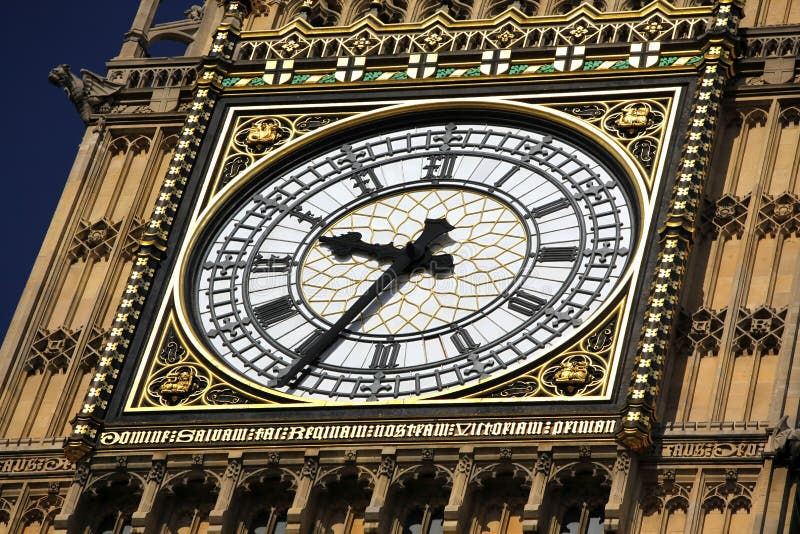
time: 9:34
